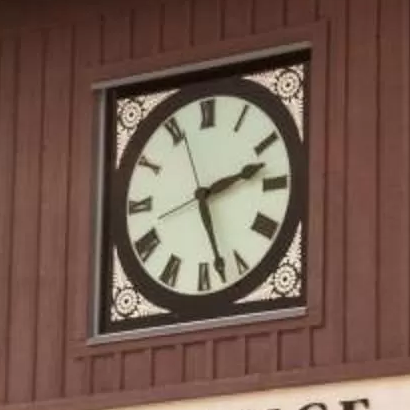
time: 2:27
